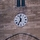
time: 11:35
